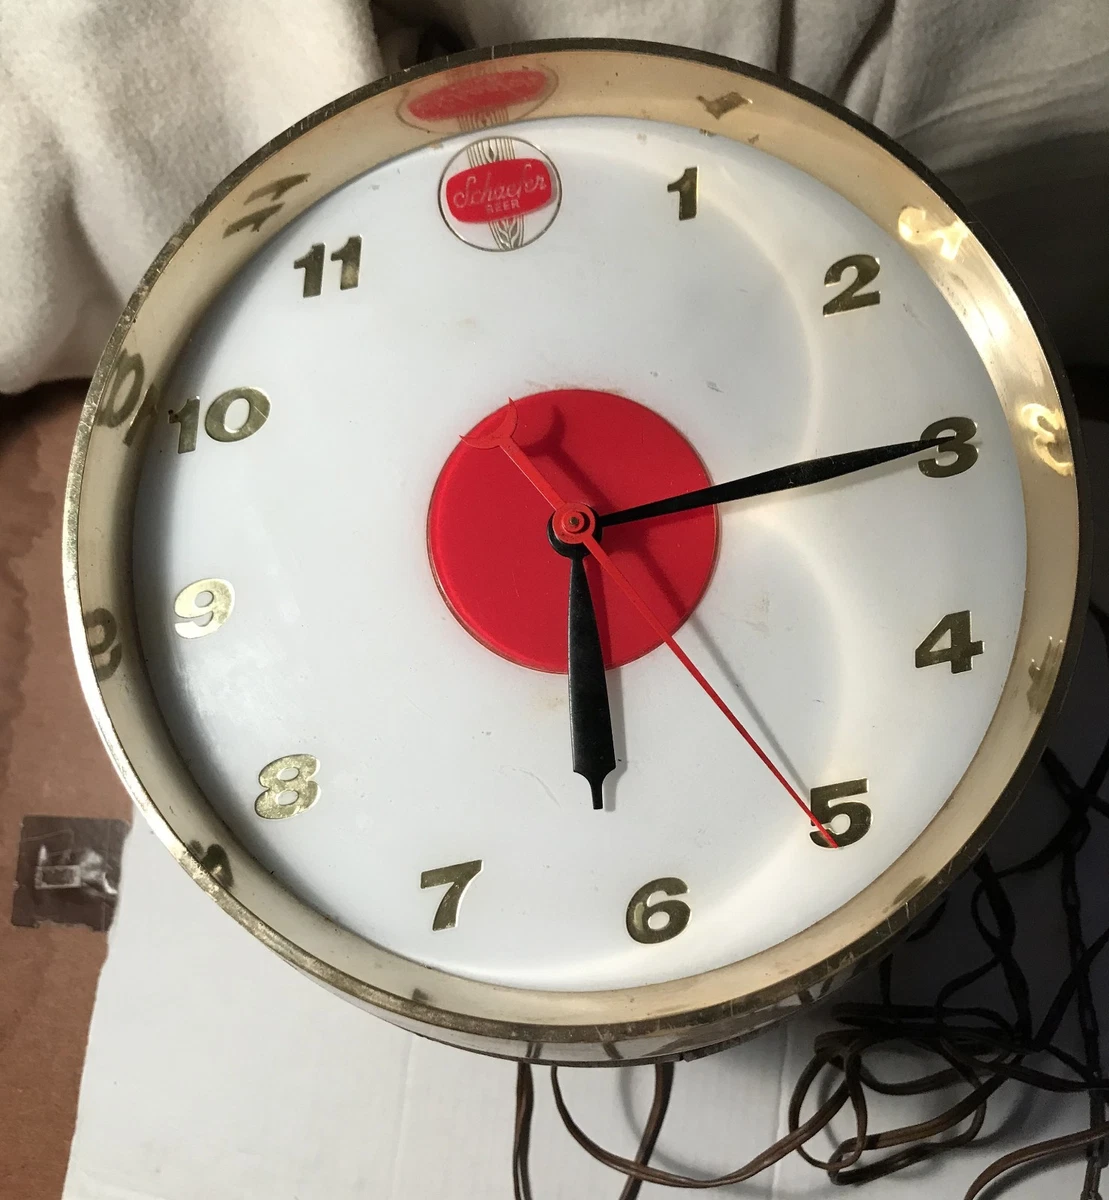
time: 6:15
